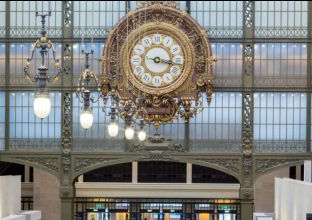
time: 3:17
